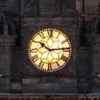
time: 10:14
